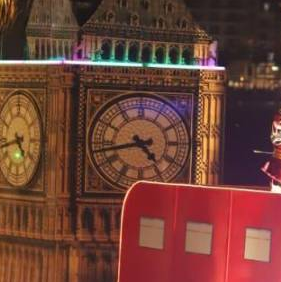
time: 4:42
